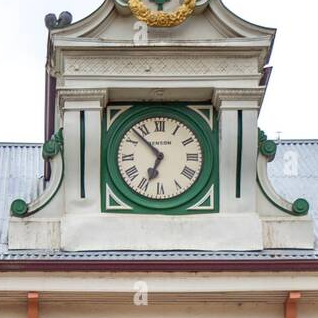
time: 6:52
